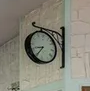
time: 8:36
